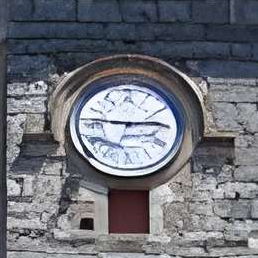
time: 2:46
